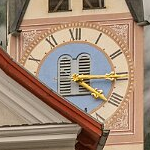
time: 4:14
